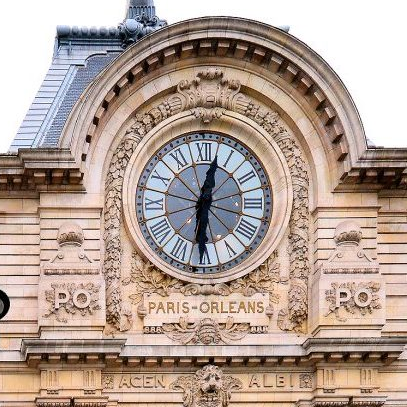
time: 12:30
